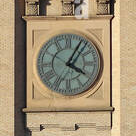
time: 4:04
